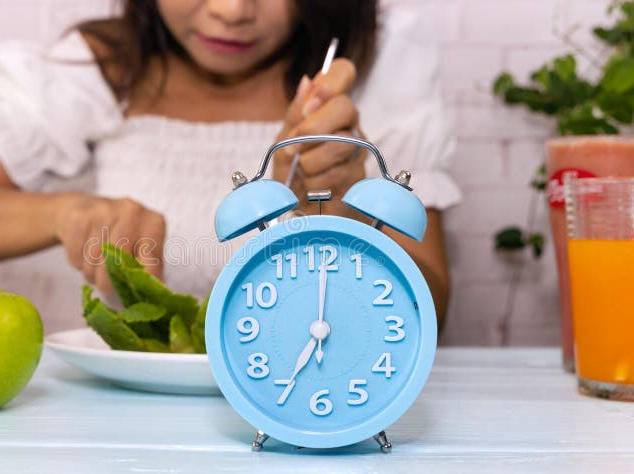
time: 7:00
